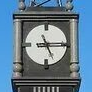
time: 5:15
